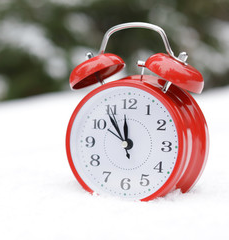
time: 11:53
